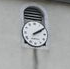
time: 2:09
